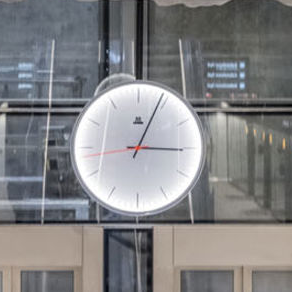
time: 3:04
